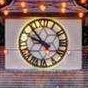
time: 9:53
